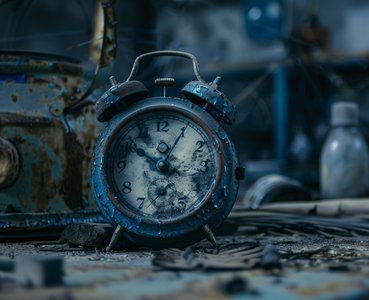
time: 12:51
